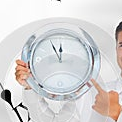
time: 11:55
